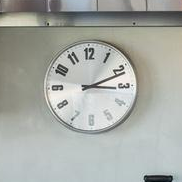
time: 3:11
